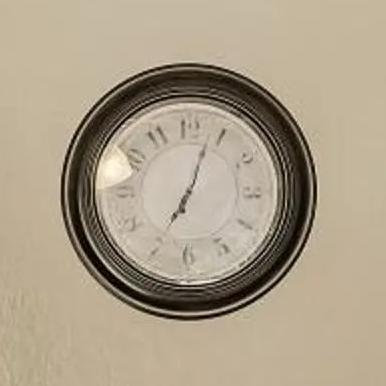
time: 7:03
